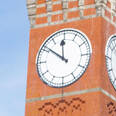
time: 11:50
